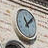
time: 11:07
